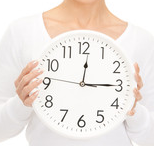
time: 12:14
